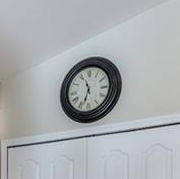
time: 11:33
